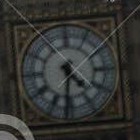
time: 4:31
